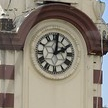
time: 2:01
